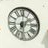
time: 6:08
